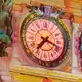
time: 7:18
